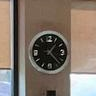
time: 1:23
